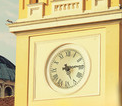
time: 5:14
